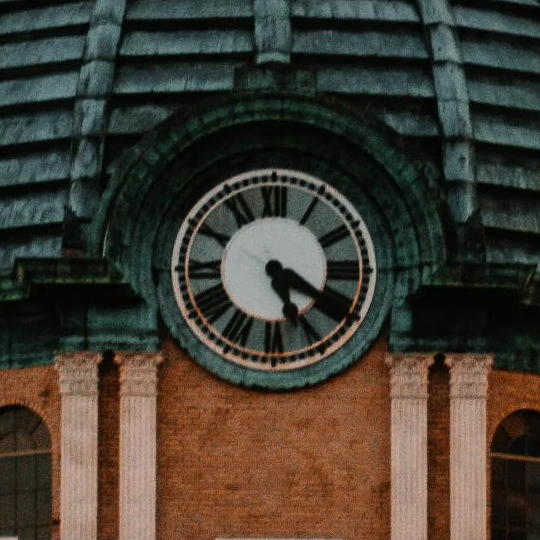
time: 5:19
